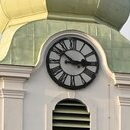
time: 2:51
